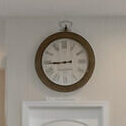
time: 8:44
